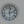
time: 12:12
